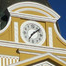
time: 7:08
